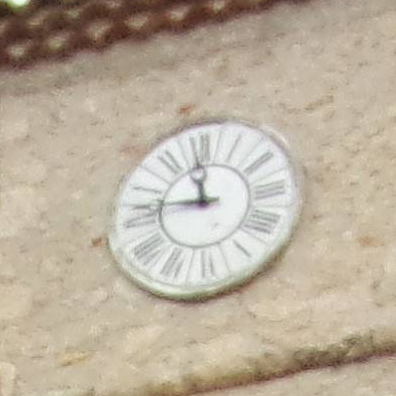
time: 11:46
